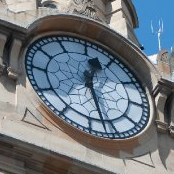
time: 12:27
